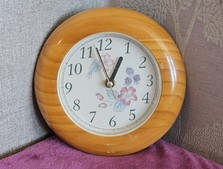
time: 12:57
